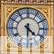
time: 4:31
